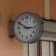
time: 2:49
